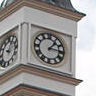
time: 1:16
